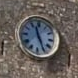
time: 11:25
